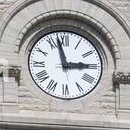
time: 2:57
